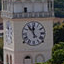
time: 11:53
